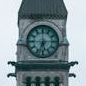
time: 5:33
